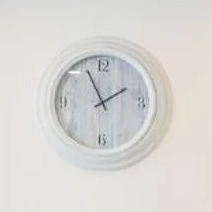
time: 1:55
